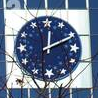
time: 12:10
